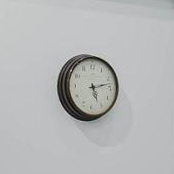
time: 5:12
